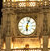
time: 6:03
